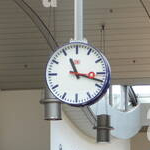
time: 11:17
